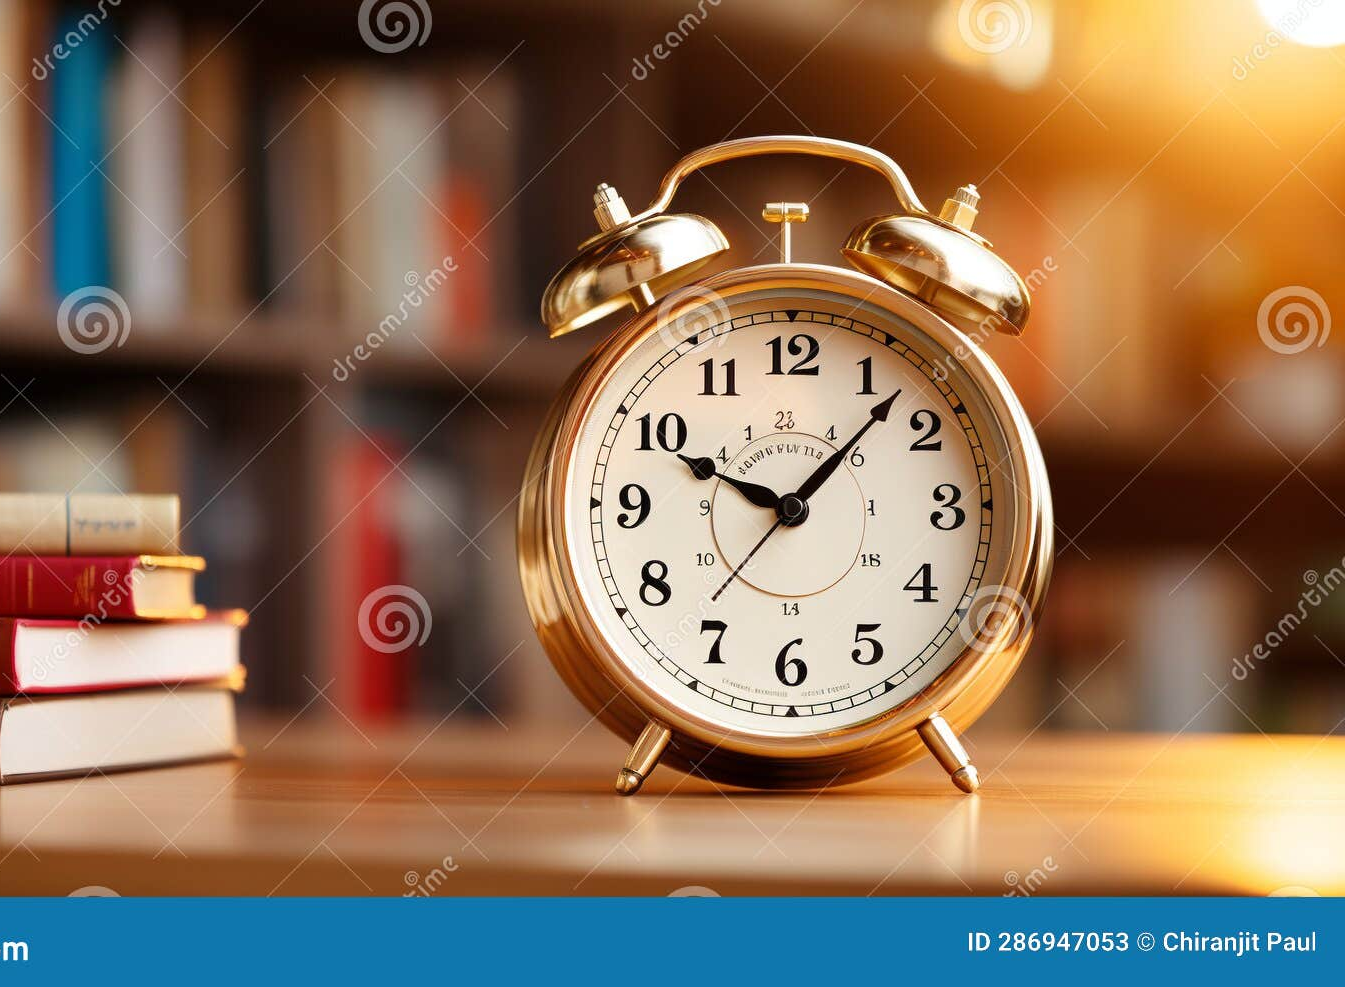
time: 10:07
